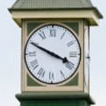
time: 3:49
